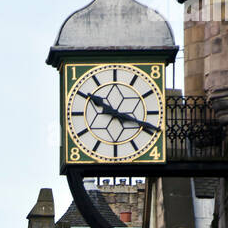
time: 10:18
